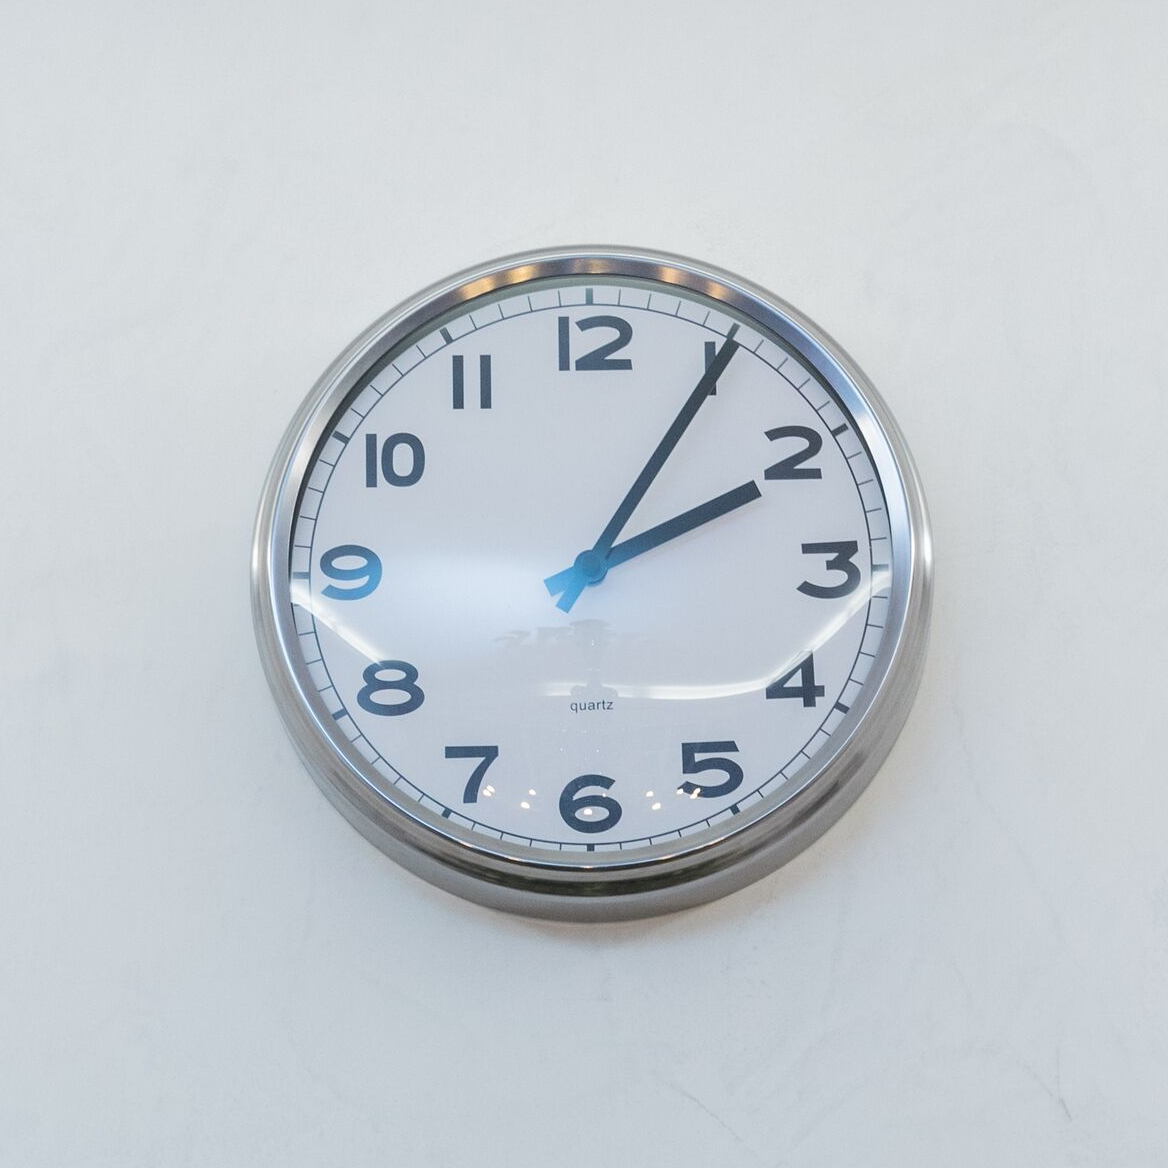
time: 2:05
